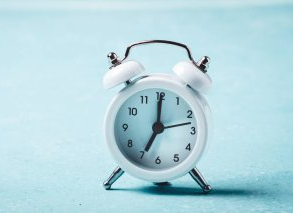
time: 7:00
